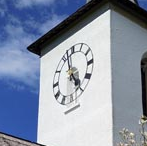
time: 4:57
